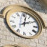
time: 2:02
